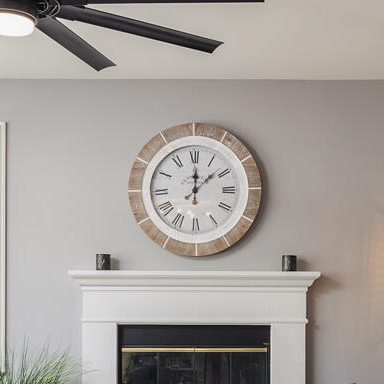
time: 12:08
